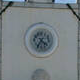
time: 4:35
